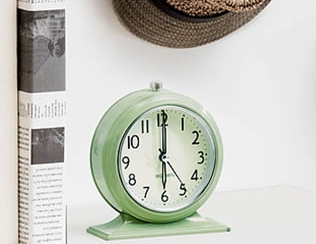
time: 6:00
